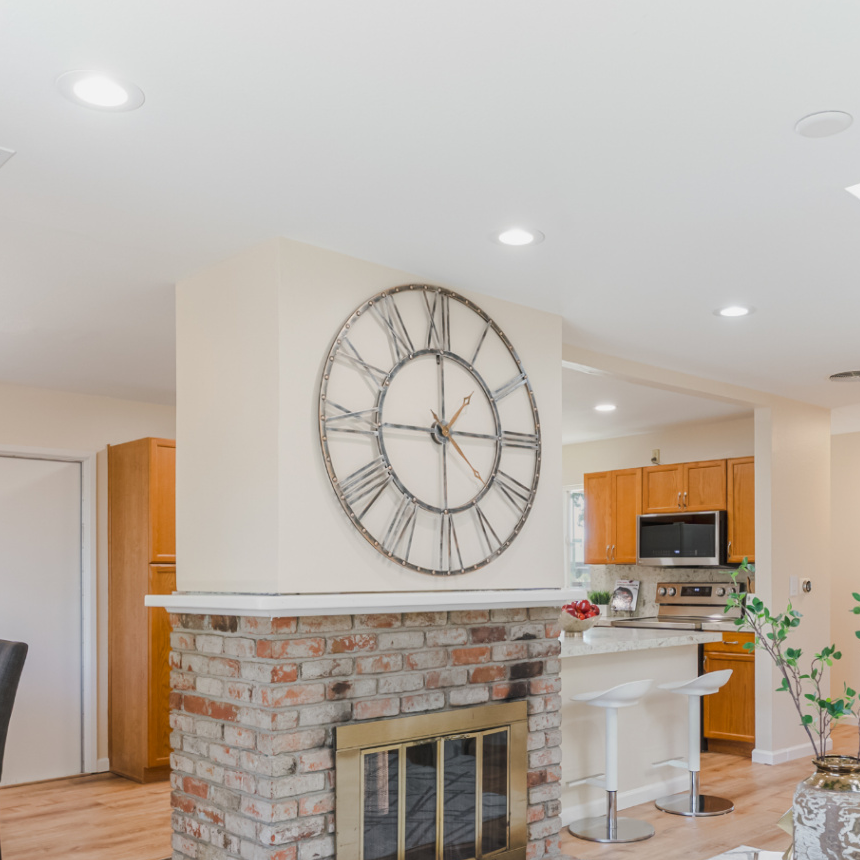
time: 12:14
